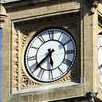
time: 5:38
